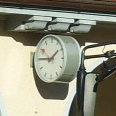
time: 1:45
